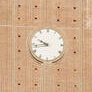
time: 9:43
